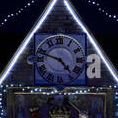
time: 4:48
